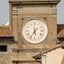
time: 5:35
